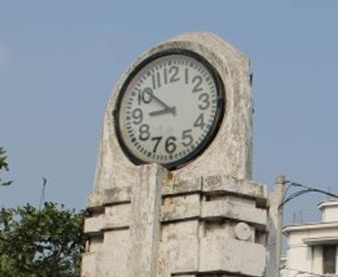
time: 8:51
